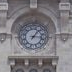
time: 1:16
